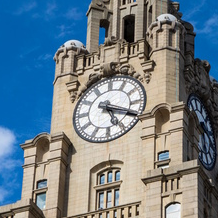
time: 5:18
